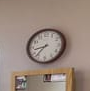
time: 8:37
